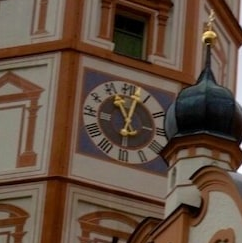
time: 11:02
